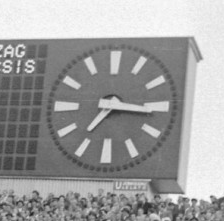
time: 7:15
